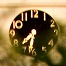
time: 7:32
